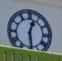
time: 12:28
